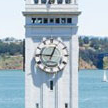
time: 12:46
